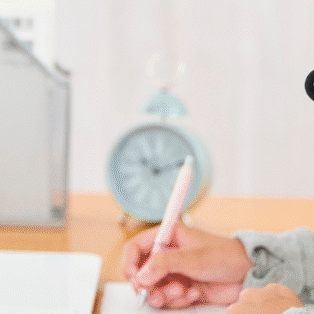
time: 10:12
